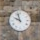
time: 9:57
